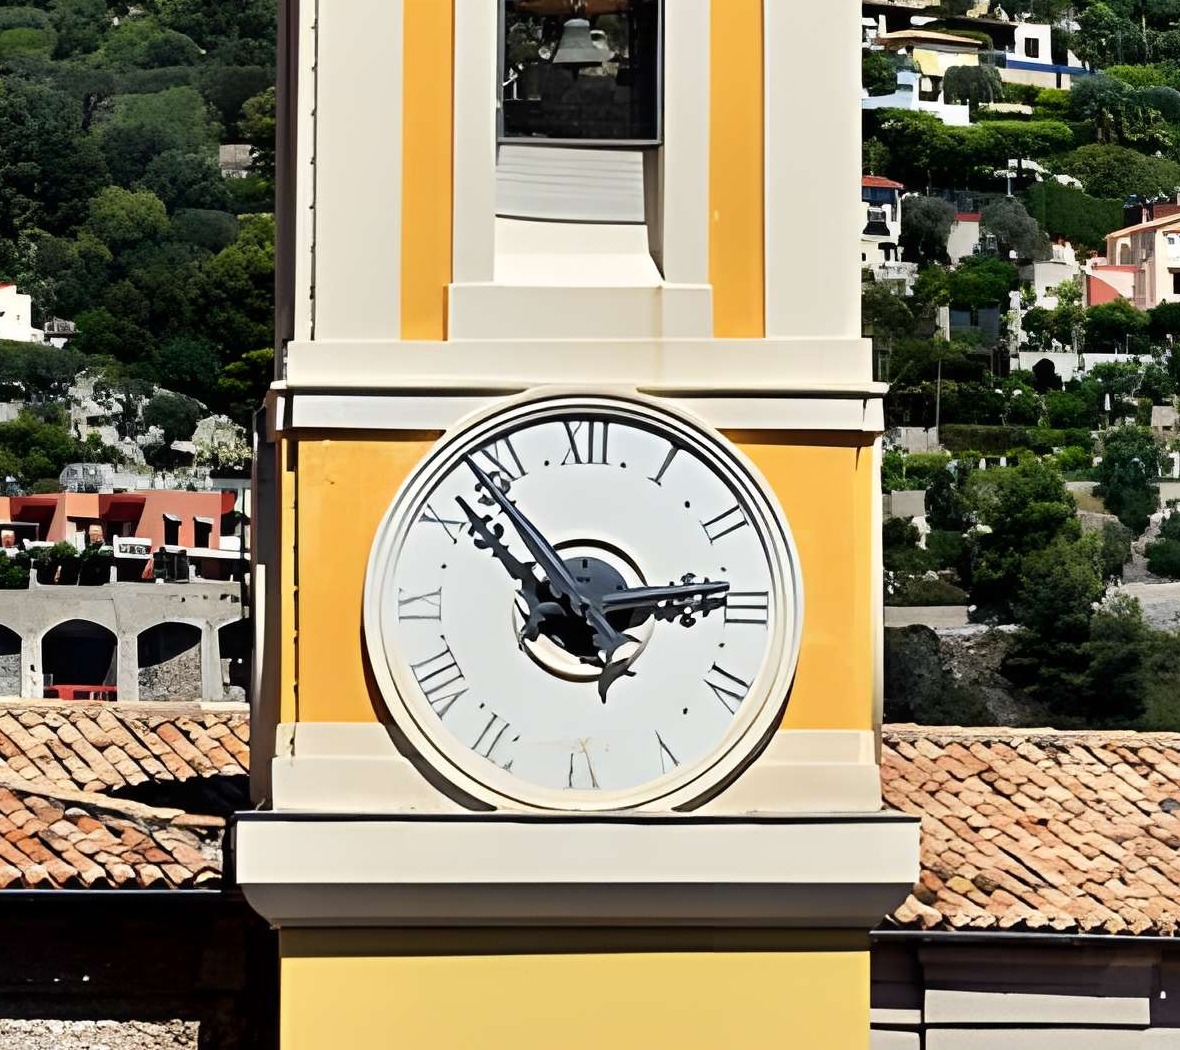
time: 2:52
